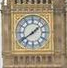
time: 1:39
